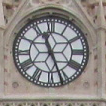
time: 11:26
